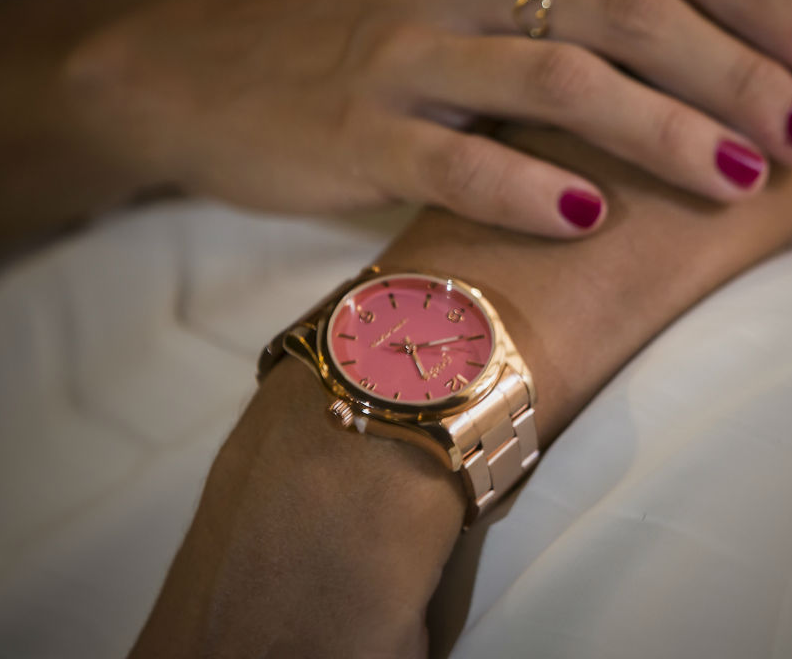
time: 5:14
